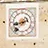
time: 7:42
